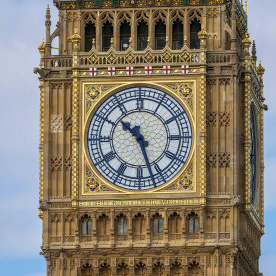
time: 10:26
